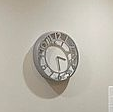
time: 3:29
